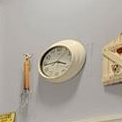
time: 3:44
